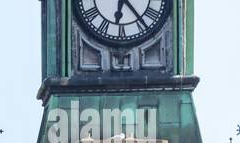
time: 6:23
